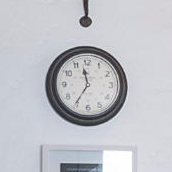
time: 11:35
